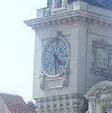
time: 4:29
